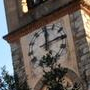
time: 12:13
